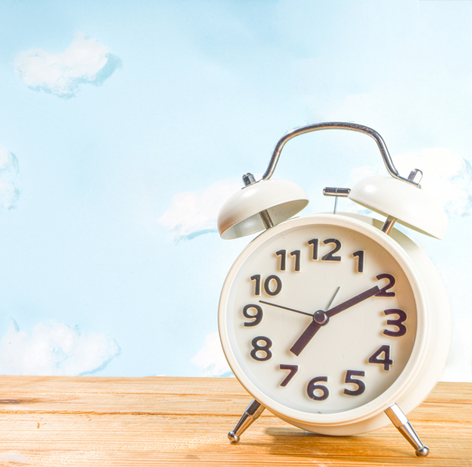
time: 7:09
